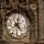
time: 12:23
